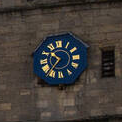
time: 10:37
